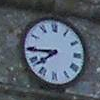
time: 7:44
